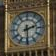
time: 2:29
